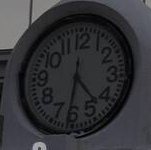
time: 4:31
